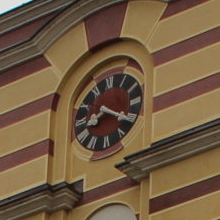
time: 8:20
